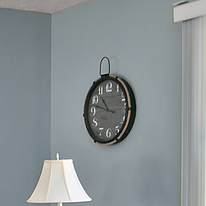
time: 10:47
